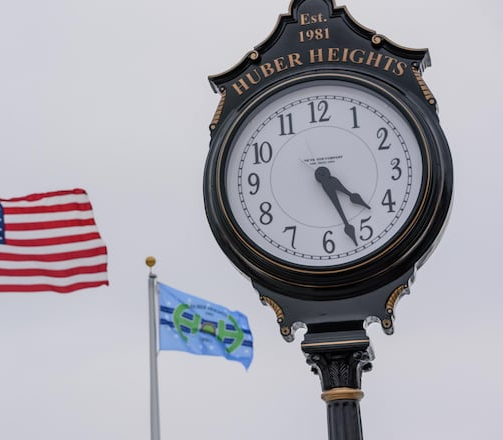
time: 4:26
